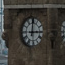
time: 3:00
